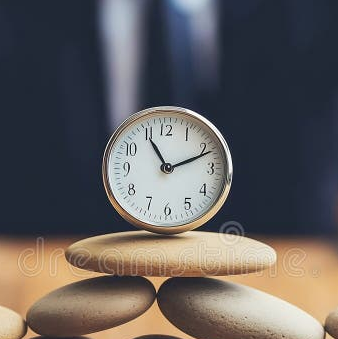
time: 11:11
